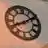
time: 8:09
